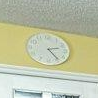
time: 2:23
